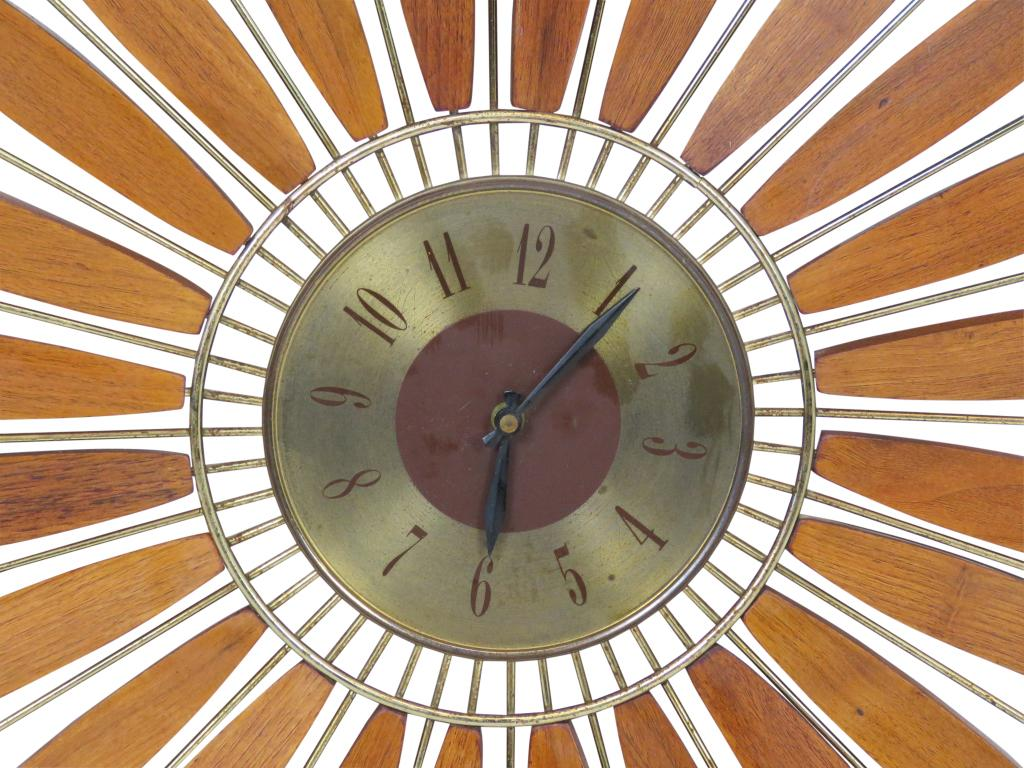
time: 6:06
